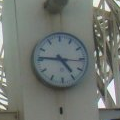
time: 4:46
